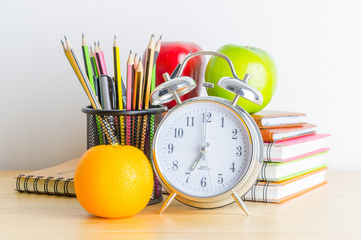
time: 7:00
